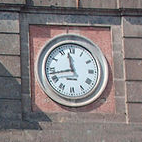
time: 11:42
